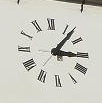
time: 3:07
